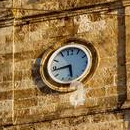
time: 5:43
